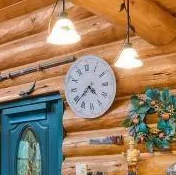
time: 4:38
